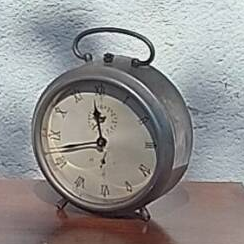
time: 11:42
